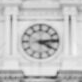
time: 4:13
